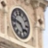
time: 4:46
